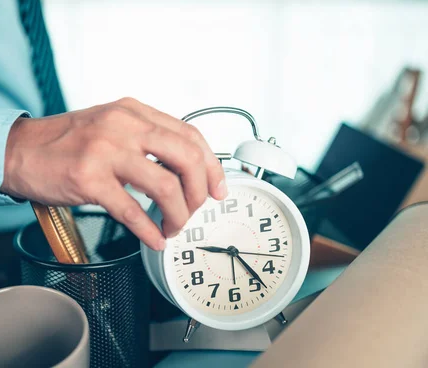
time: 9:23
